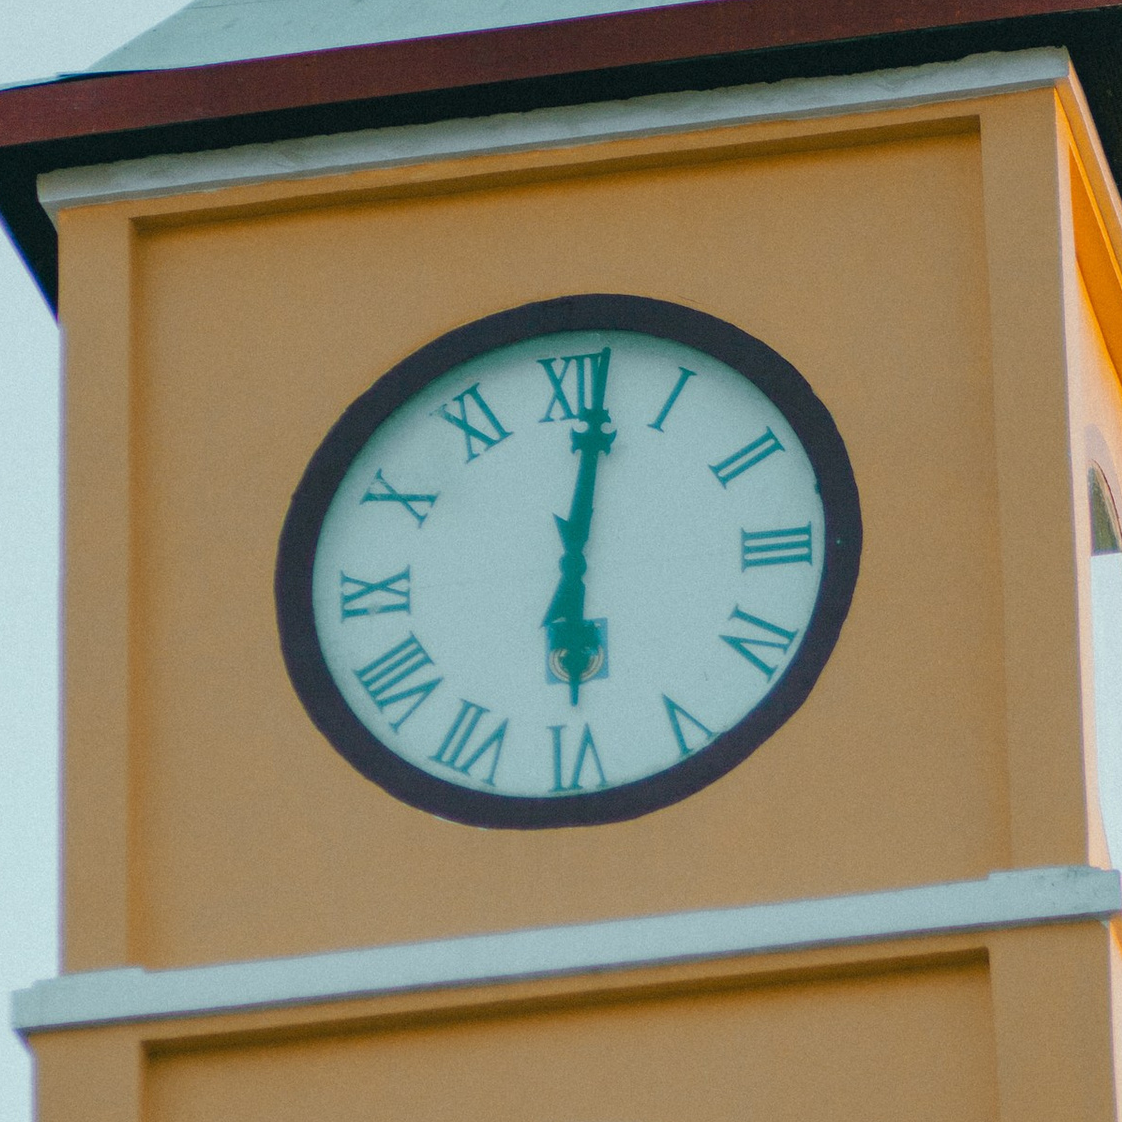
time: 6:01
